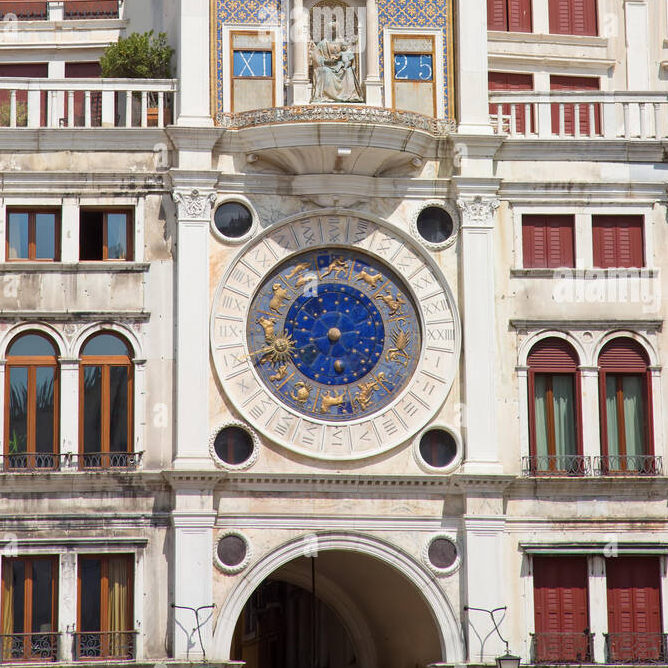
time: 5:40
